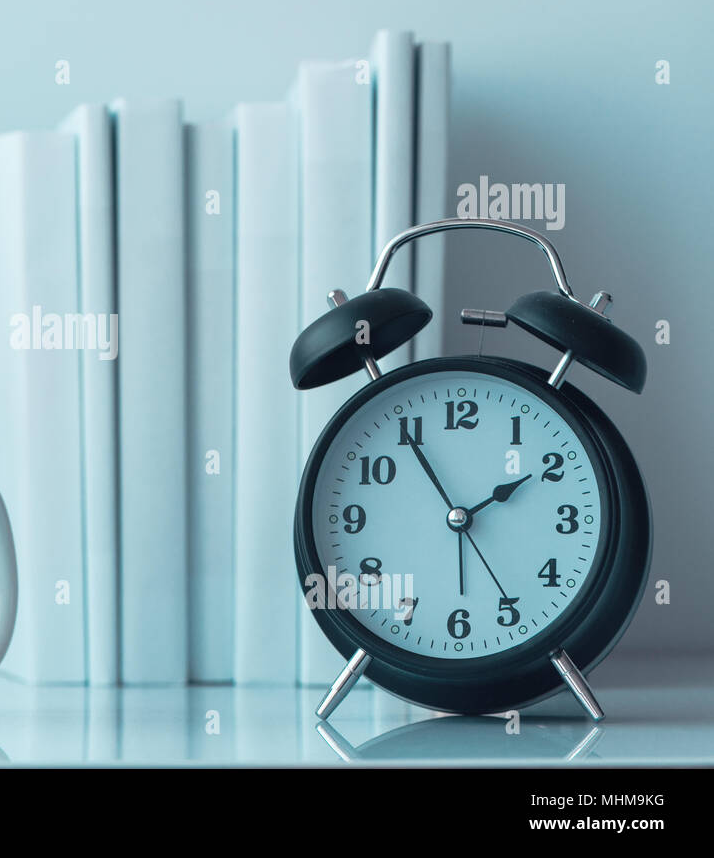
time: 1:54
